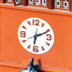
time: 6:10
